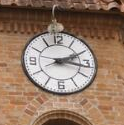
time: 2:16
